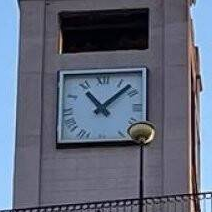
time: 11:07
